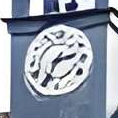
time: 2:34
